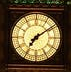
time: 7:09
